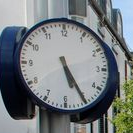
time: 5:25
